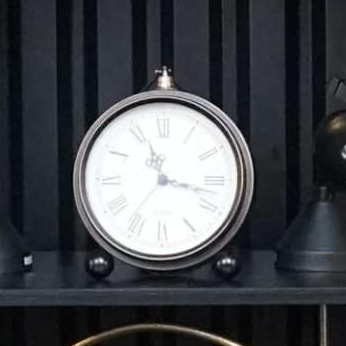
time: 11:17
